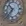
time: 10:36
